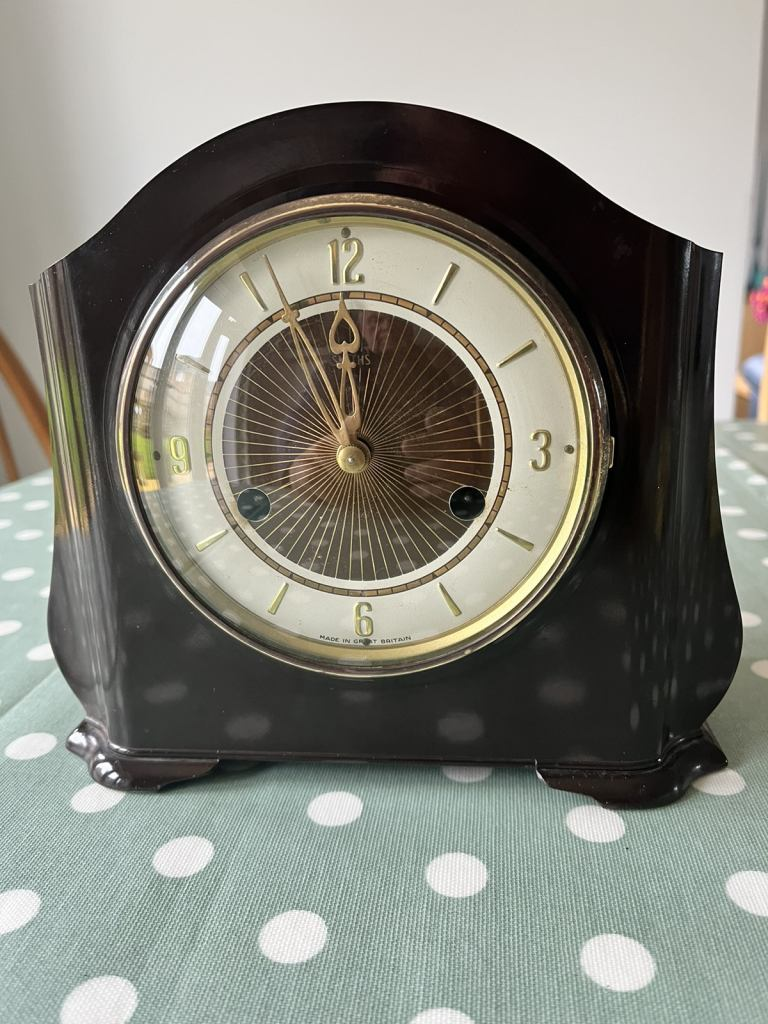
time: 11:55
